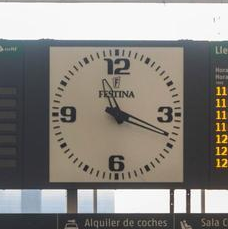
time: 11:18
